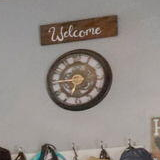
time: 6:44
